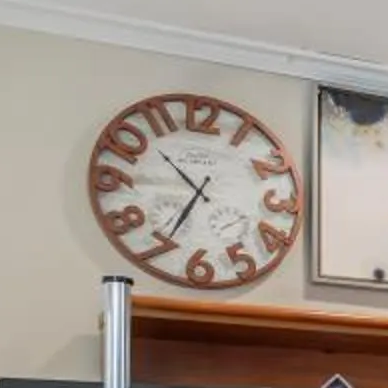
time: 10:34
